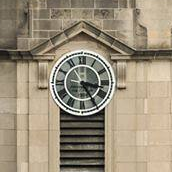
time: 3:24
